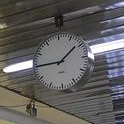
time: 1:45
